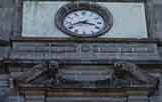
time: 3:41
